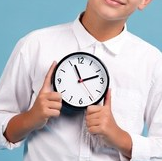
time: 11:12
